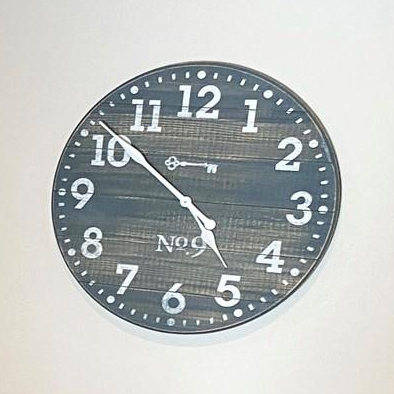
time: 4:51
